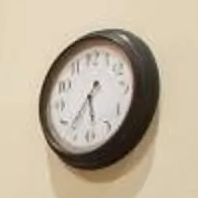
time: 5:36
